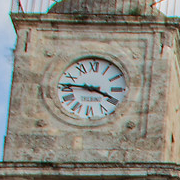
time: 3:45
